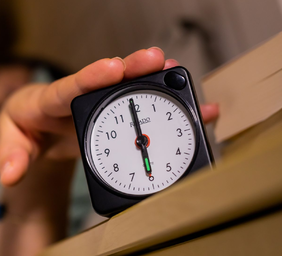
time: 5:59
